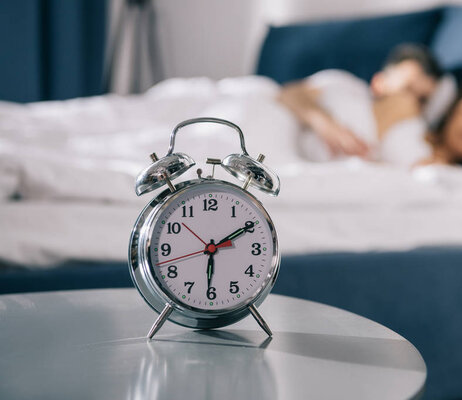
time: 6:10
